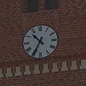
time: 10:34
